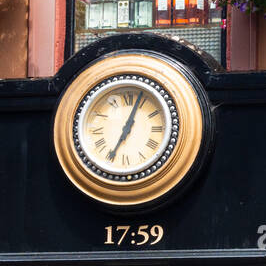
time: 7:03
